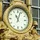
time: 11:03
